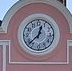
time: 12:37
